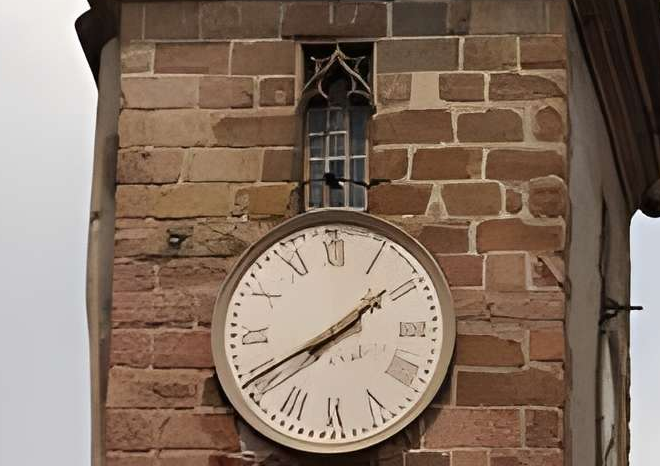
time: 1:40
